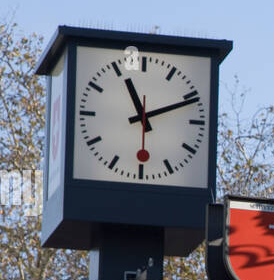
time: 11:11
